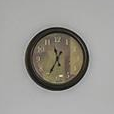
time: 11:35
